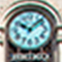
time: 10:07
